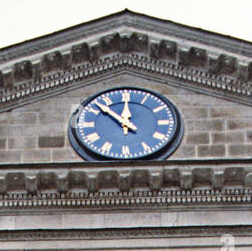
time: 11:52
